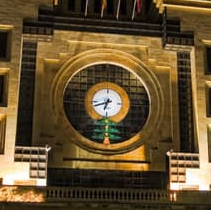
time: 6:41
